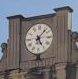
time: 5:07
